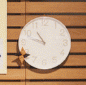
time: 10:47
